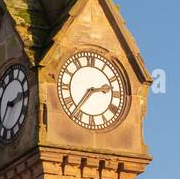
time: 2:36
